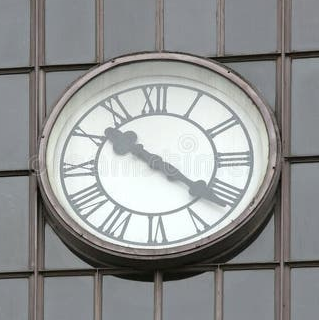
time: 10:21
